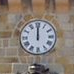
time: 12:00
